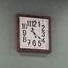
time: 11:21
